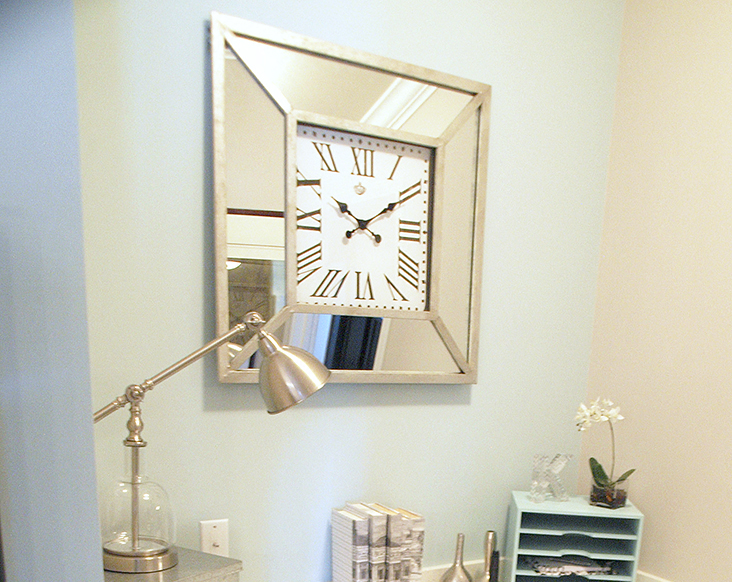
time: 10:10
